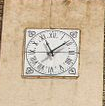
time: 11:08
